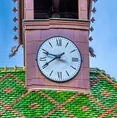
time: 9:40
